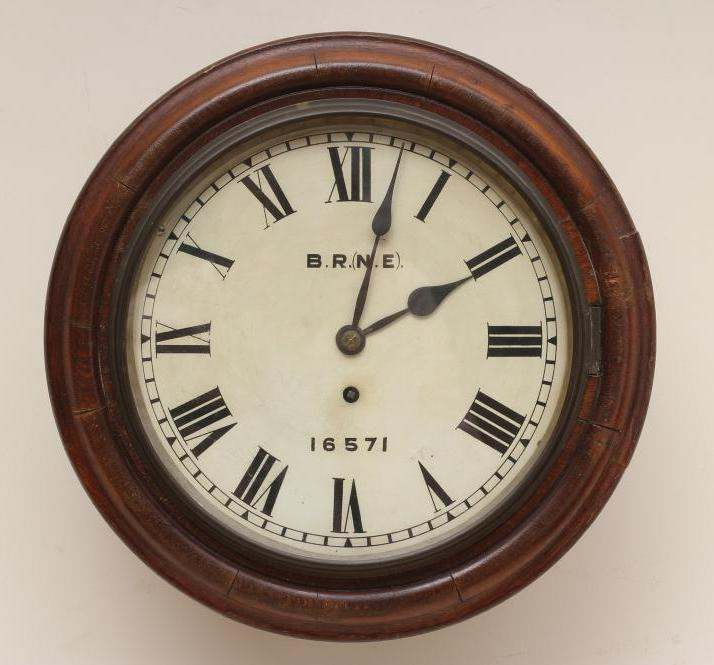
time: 2:02
